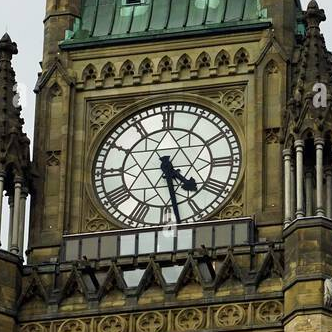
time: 4:28
